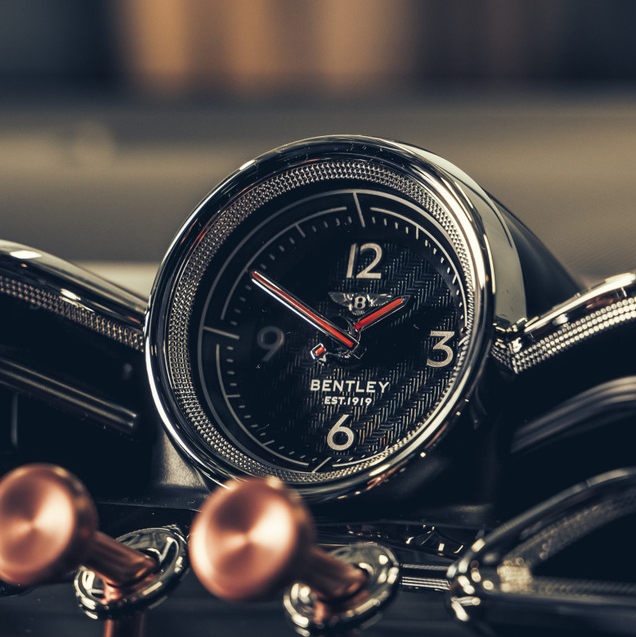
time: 9:49
